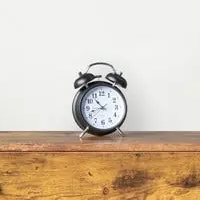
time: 10:42
